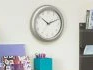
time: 10:11
